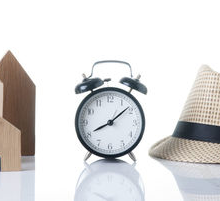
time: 8:08
